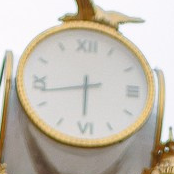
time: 5:42
